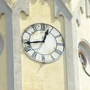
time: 12:43
